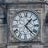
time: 1:22
